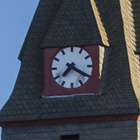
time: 7:20
